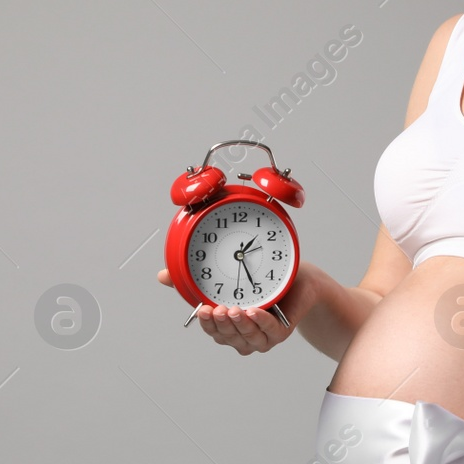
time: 1:25
